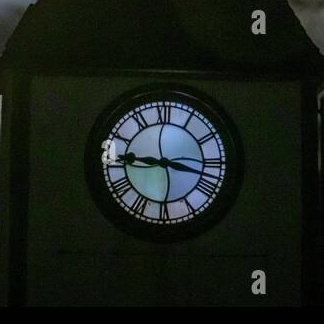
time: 9:17
